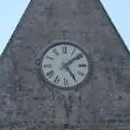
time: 5:08
